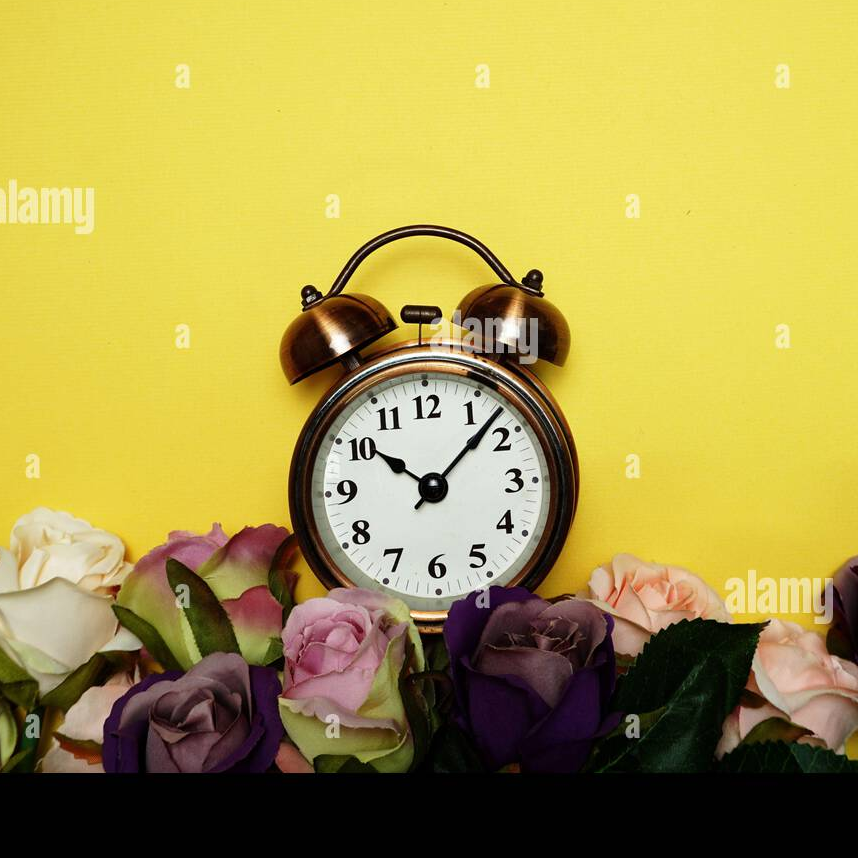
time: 10:07
